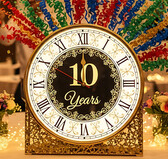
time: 11:49
